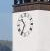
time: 10:34
